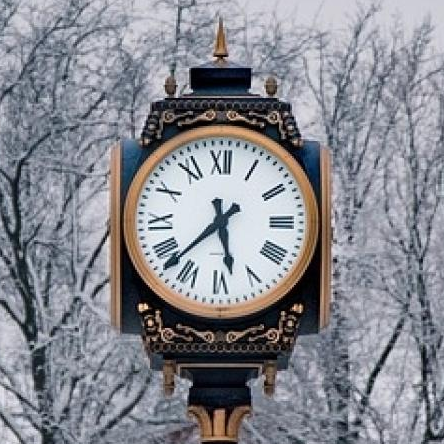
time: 5:37
